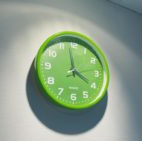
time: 3:58
